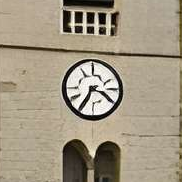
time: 3:34
